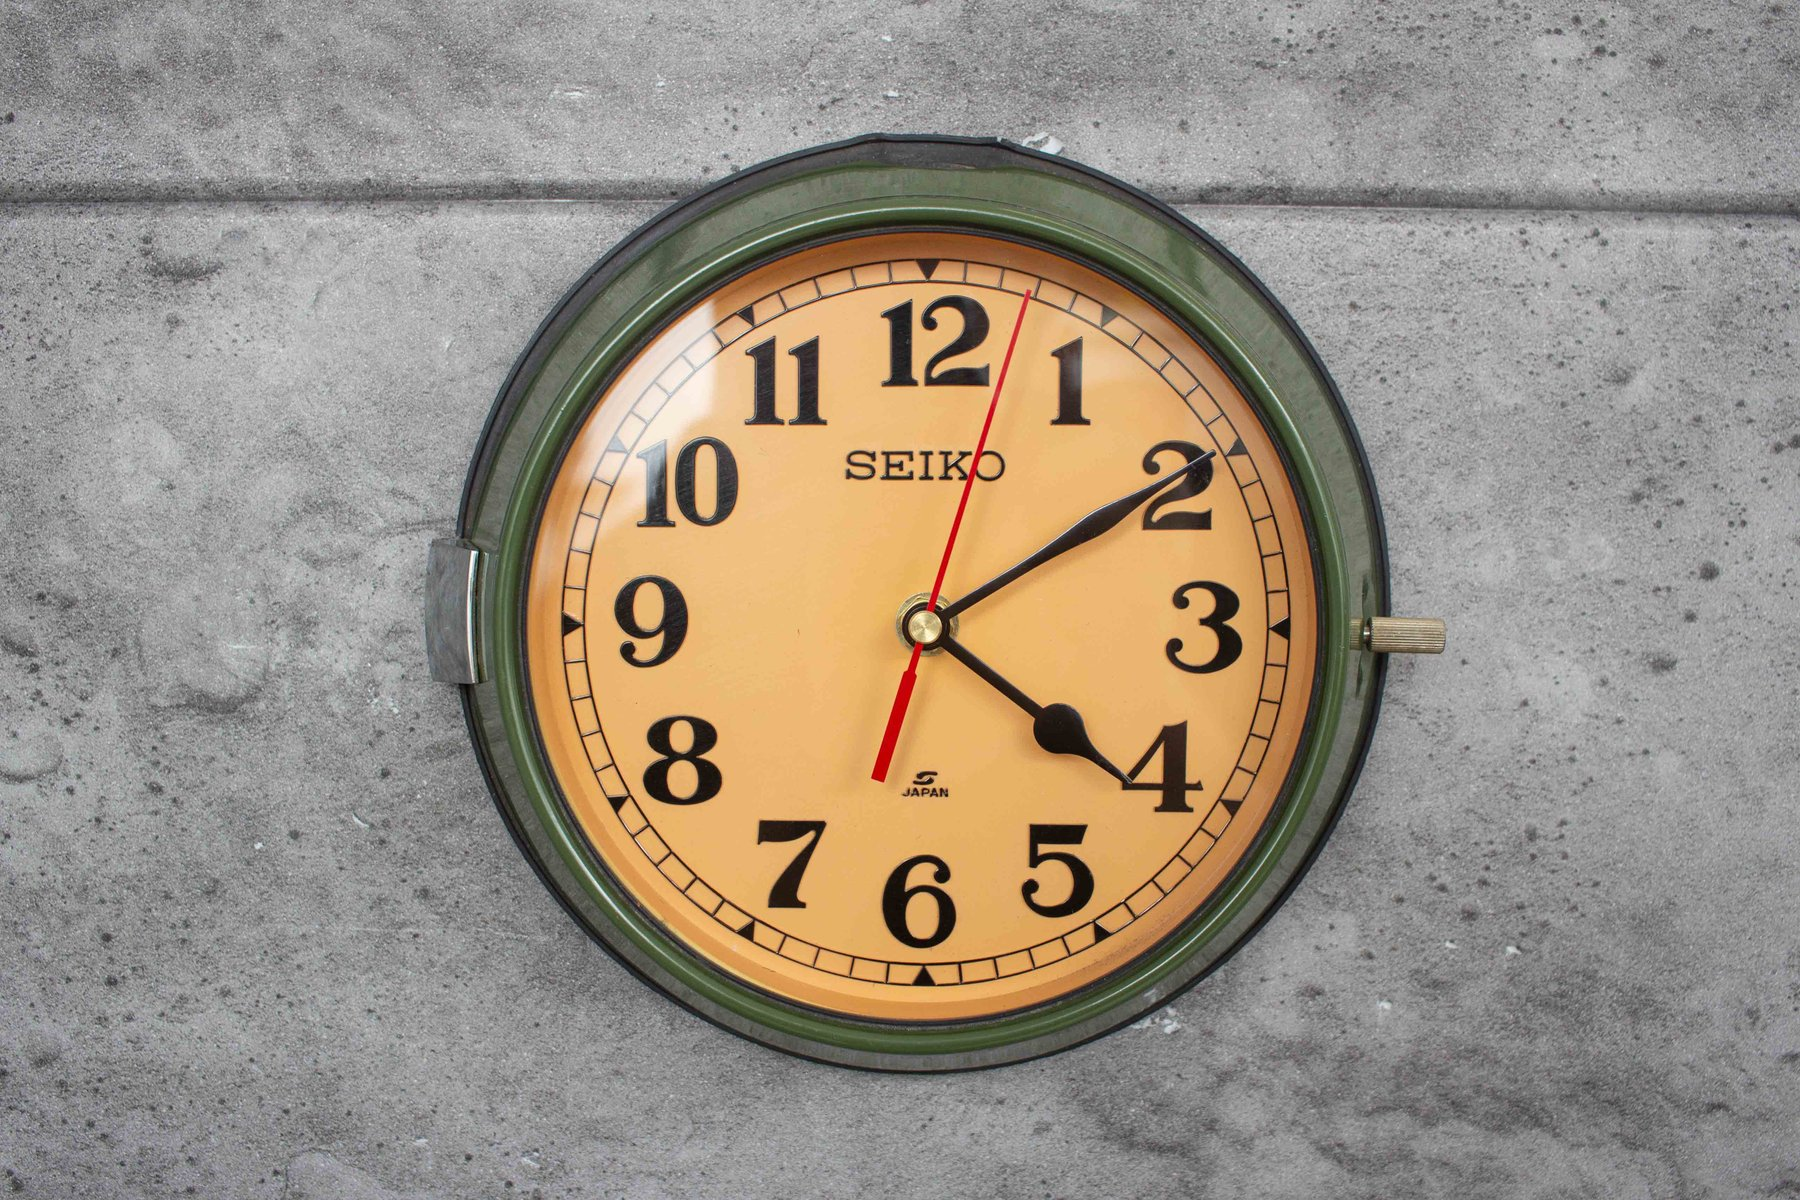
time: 4:09
